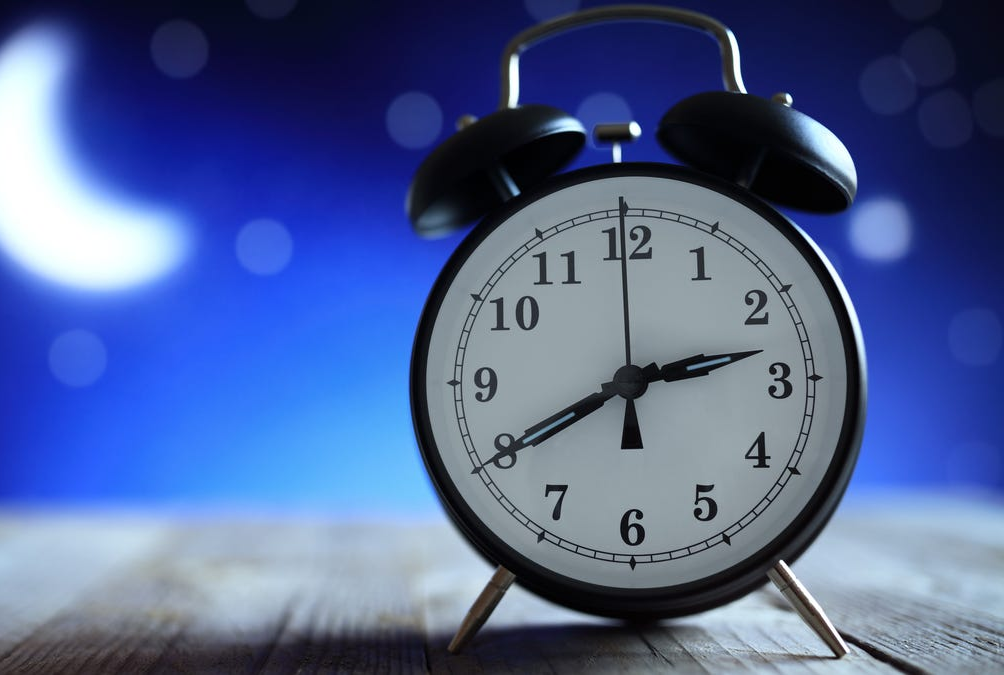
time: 2:40
